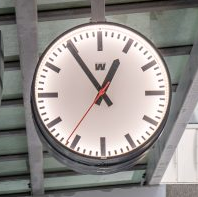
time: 12:54
